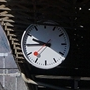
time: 9:44
